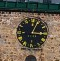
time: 3:04
